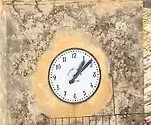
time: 1:08
